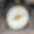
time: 8:12
